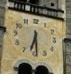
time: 6:29
